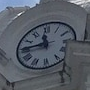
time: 11:44
